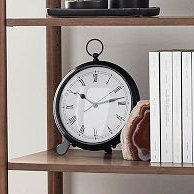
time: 10:13
